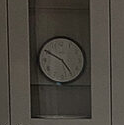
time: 4:50
